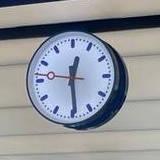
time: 12:29
